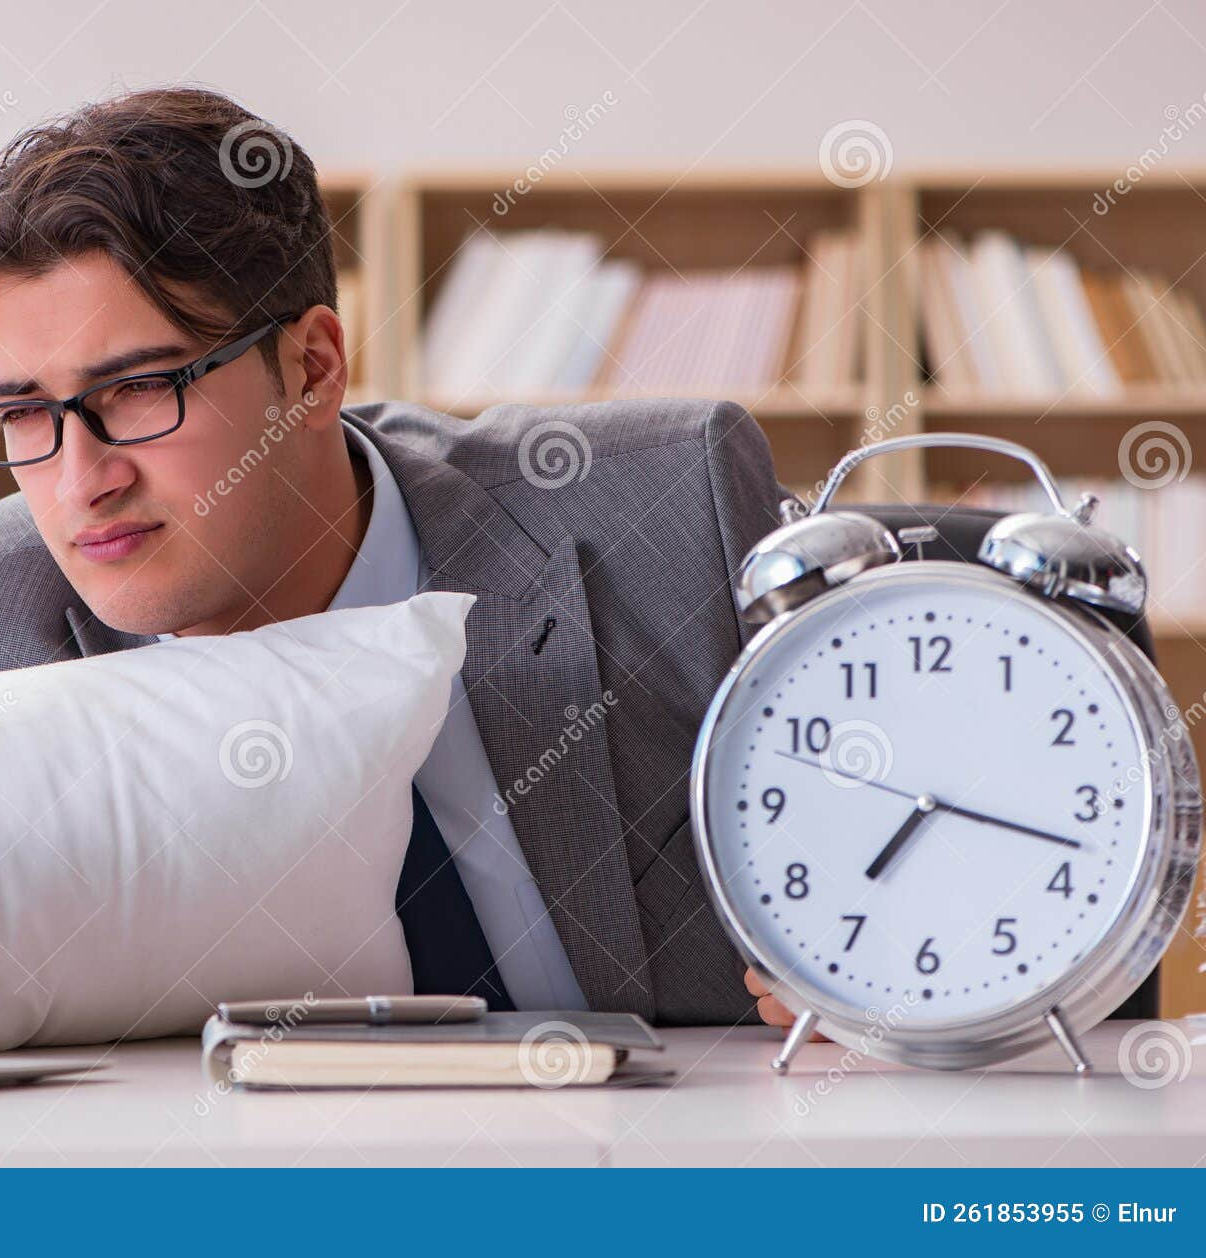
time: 7:17
